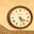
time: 4:26
